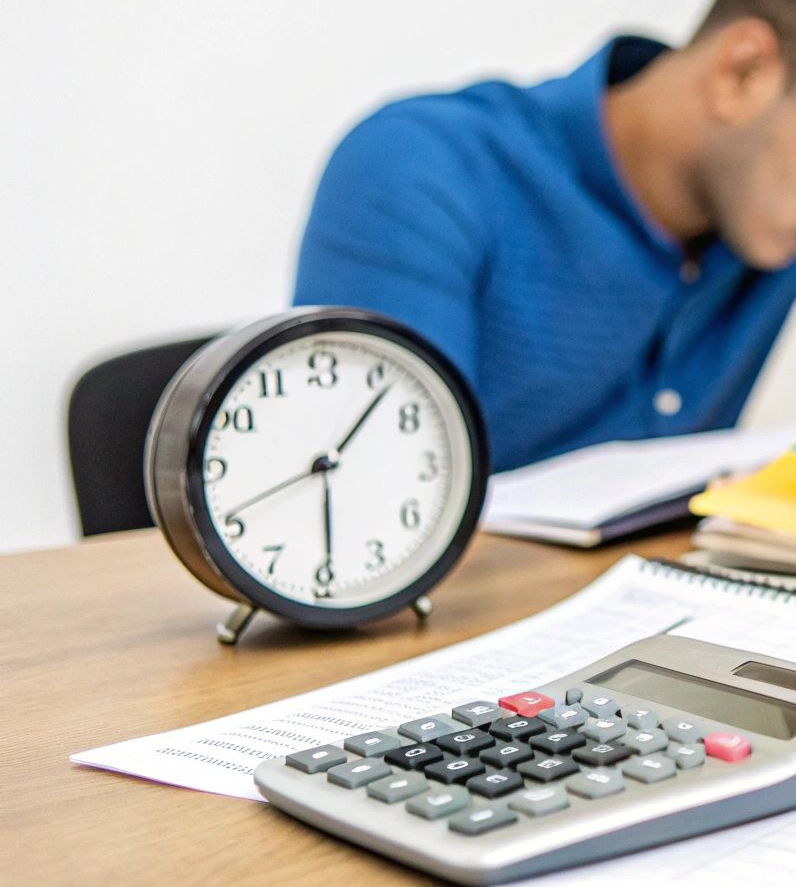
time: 8:06
